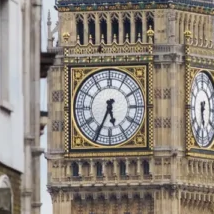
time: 5:34
